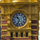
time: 10:33
